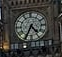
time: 4:34
